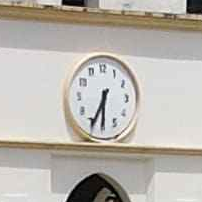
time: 6:34
